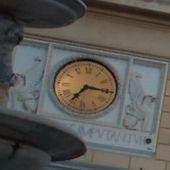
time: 7:15
